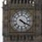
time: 4:19
